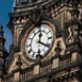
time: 12:20
